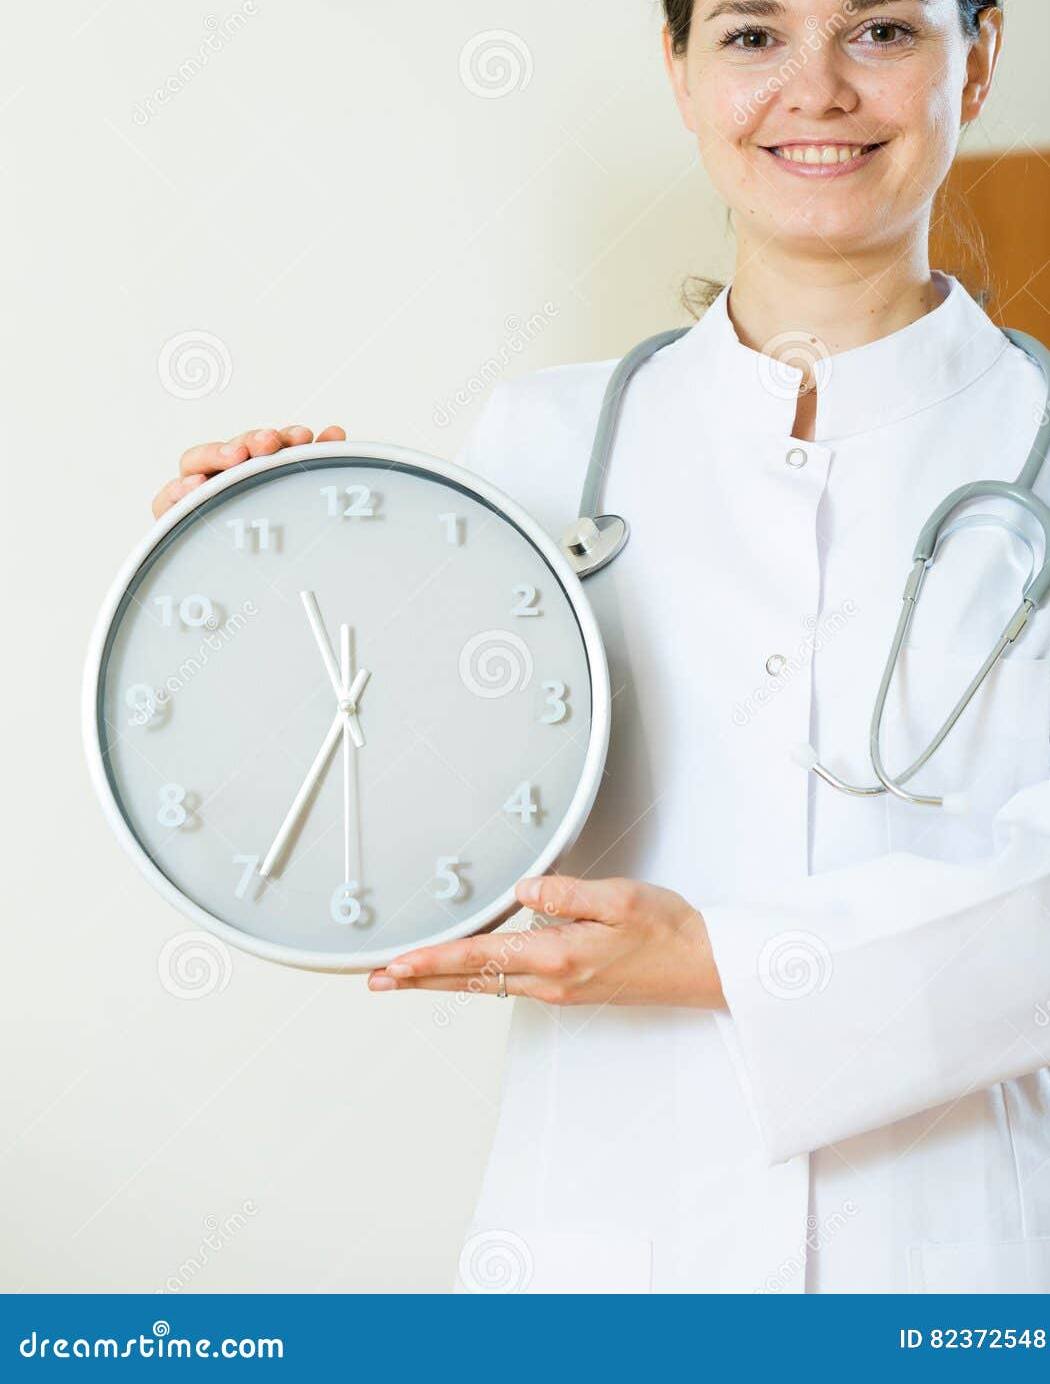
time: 11:34
